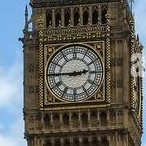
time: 2:45
